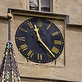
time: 11:23
